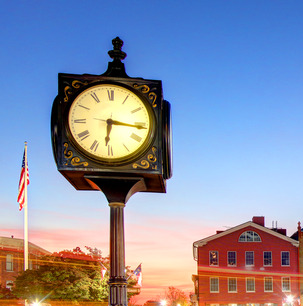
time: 6:16
